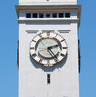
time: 2:24
